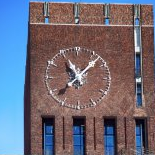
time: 11:07
